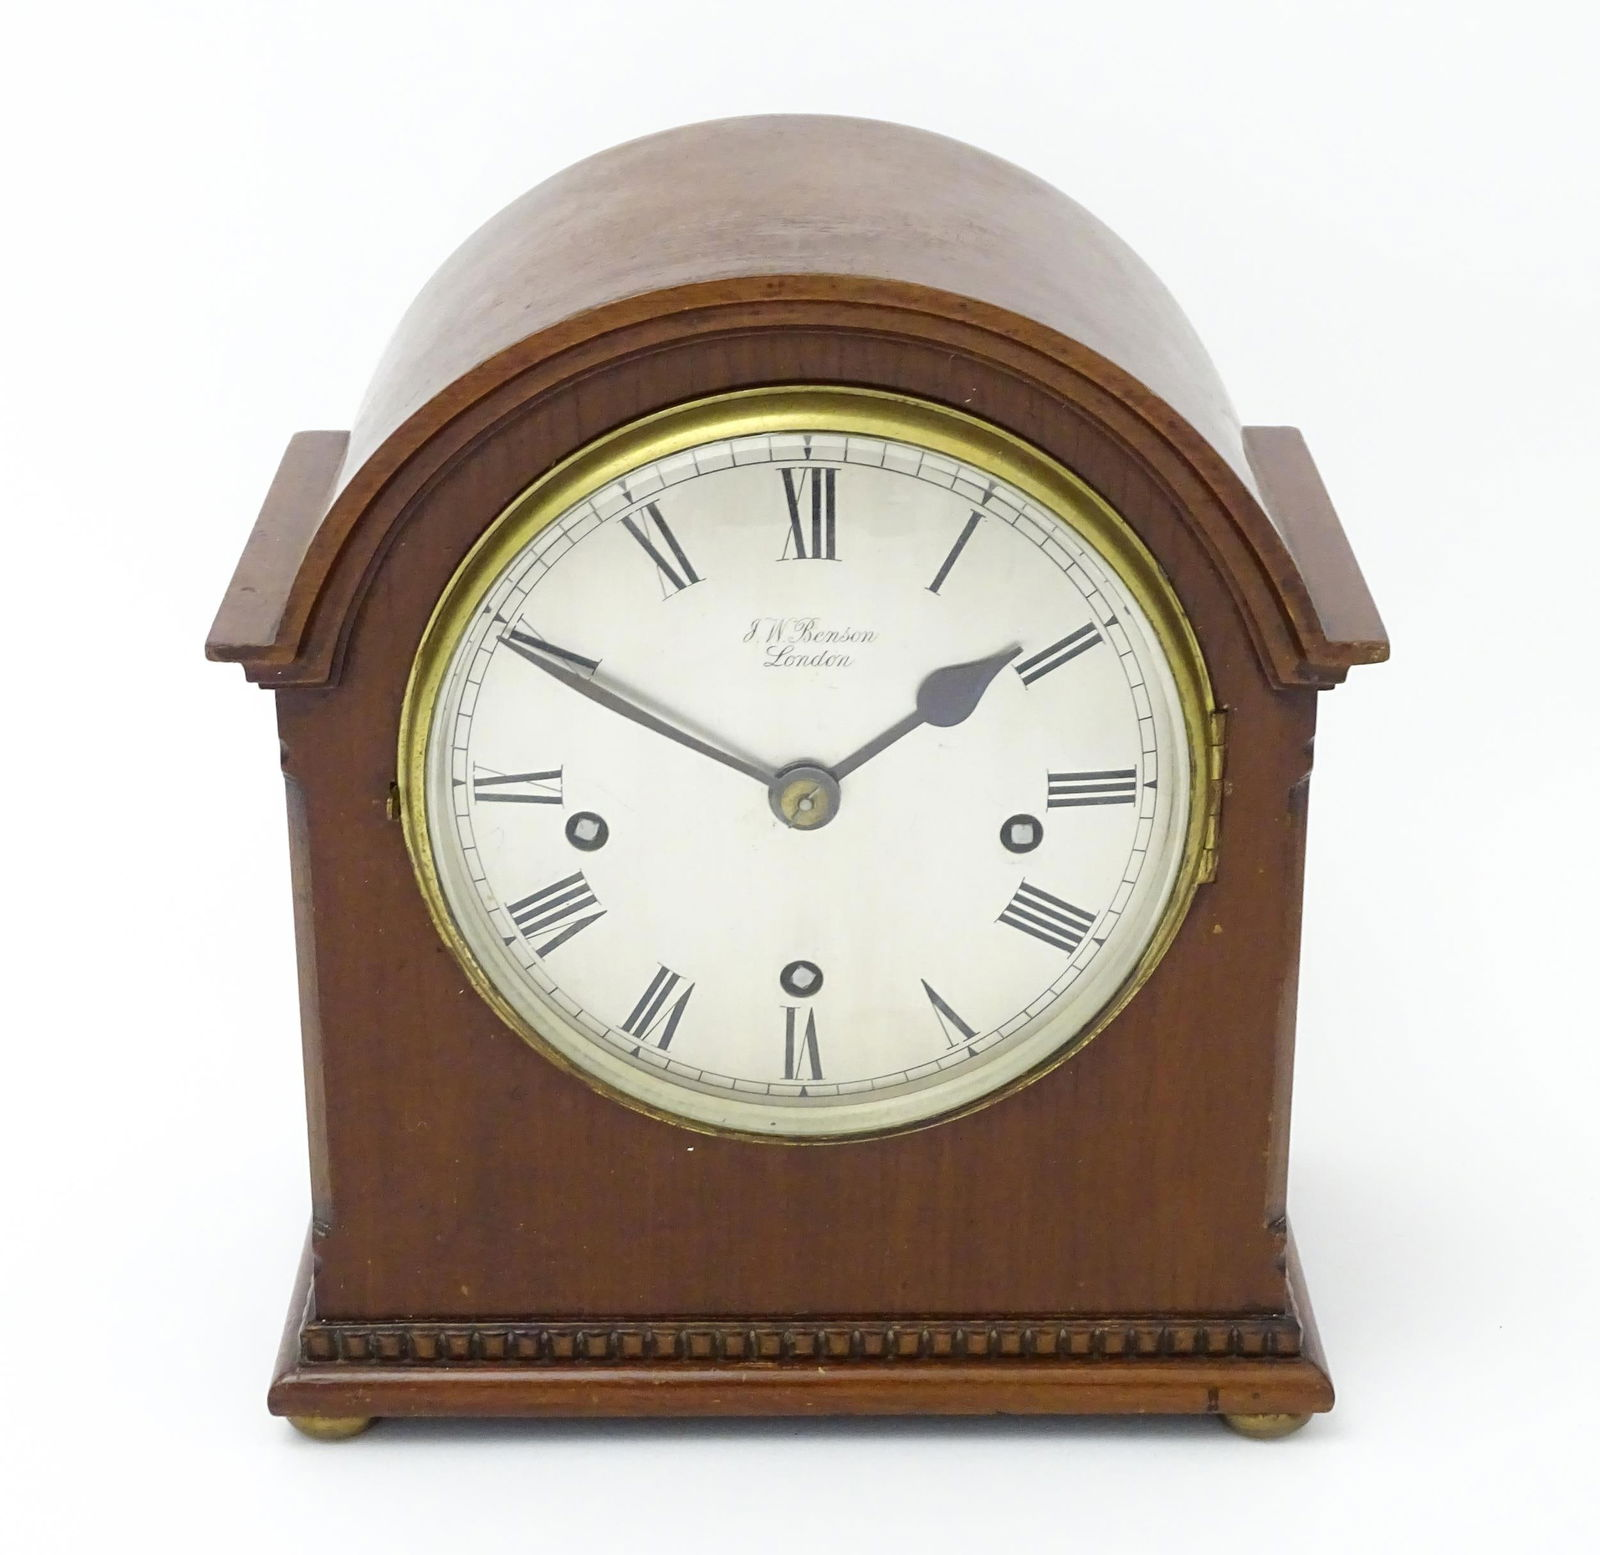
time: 1:49
